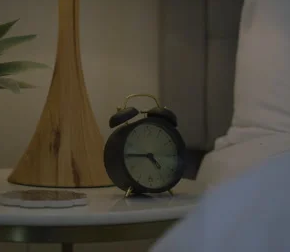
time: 4:45
